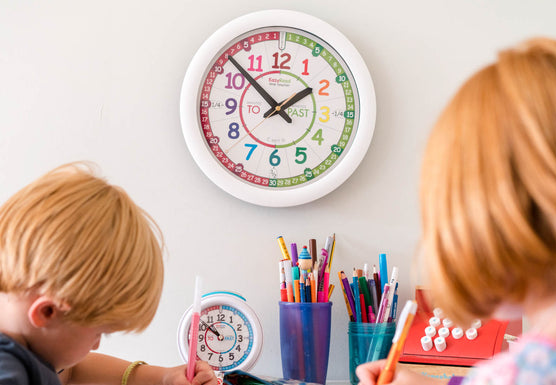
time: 1:52
